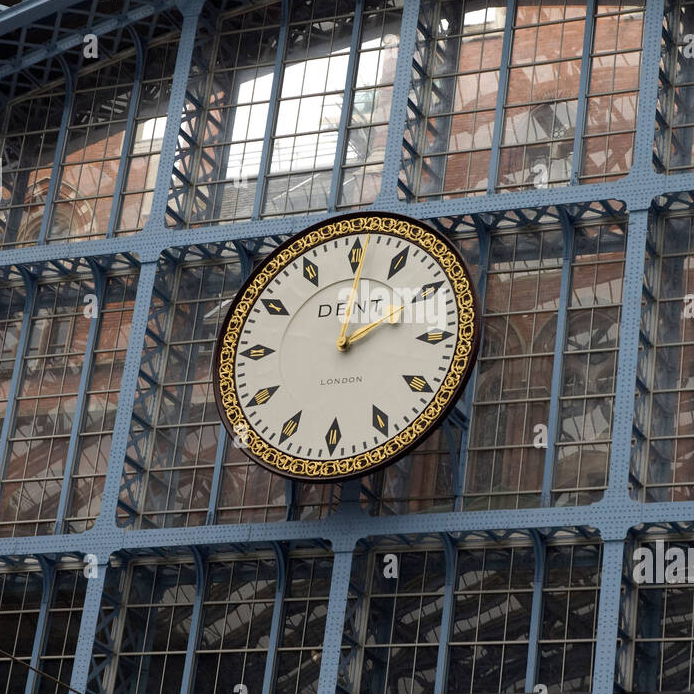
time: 2:00
